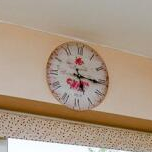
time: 5:15
